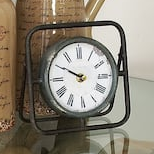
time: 9:50
